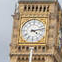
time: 4:12
